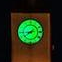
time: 8:38
